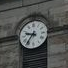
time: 9:36
